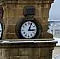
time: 3:03
